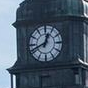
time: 12:41
